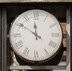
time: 11:50
